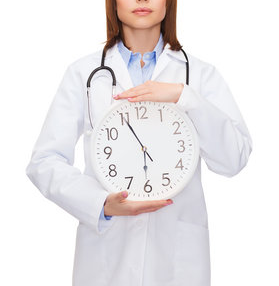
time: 5:55
